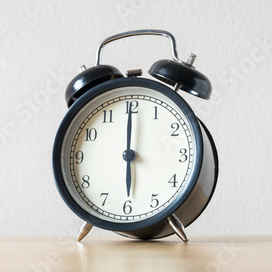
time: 6:00
